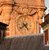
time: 4:38
